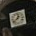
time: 12:38
